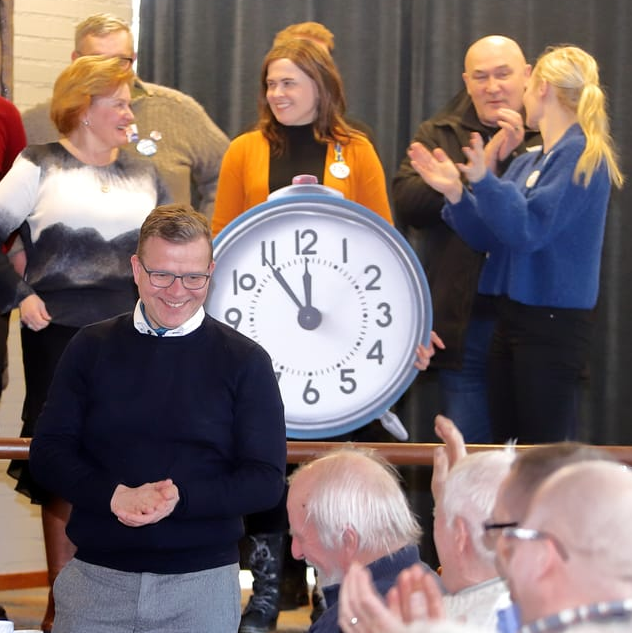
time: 11:54
